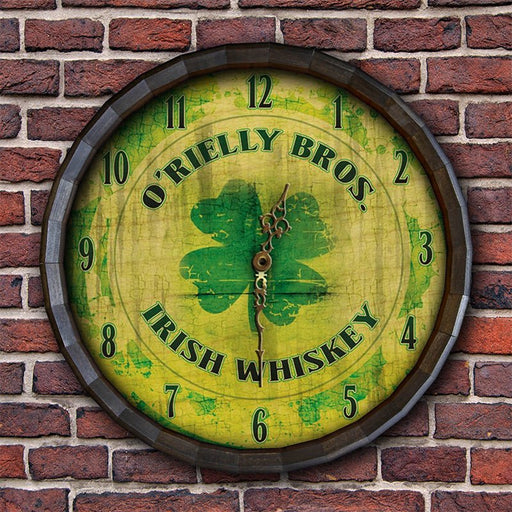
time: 12:29
